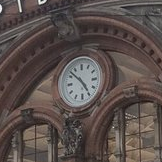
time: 4:52
